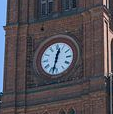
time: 12:32
